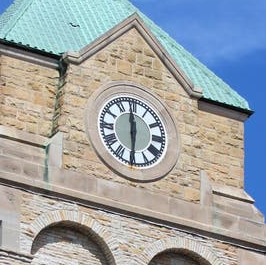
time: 5:59
